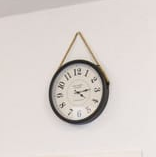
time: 4:13
